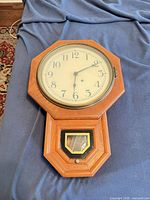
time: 6:10
